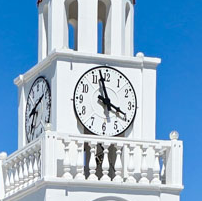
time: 3:57
